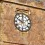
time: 10:00
